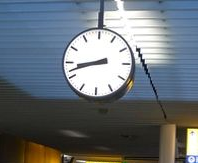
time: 8:42
